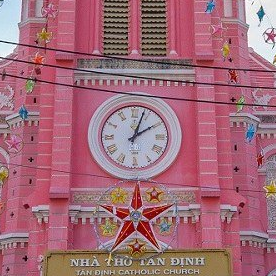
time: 2:03
